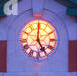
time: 5:00
